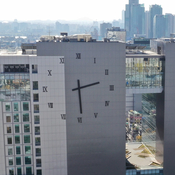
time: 2:29
